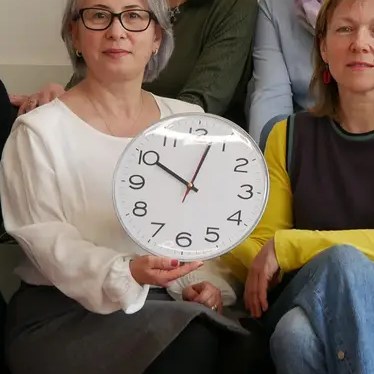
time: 10:02
